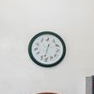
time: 12:32
